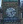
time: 5:12
